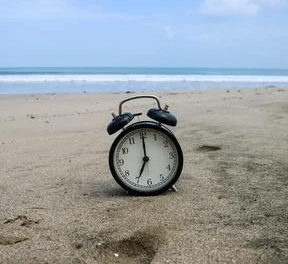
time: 7:00
